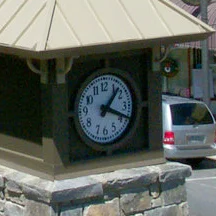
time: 1:18
